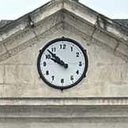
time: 9:52
